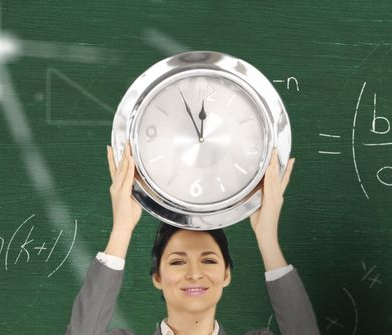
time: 11:55
